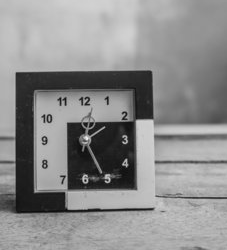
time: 12:25
